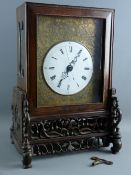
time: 7:07
